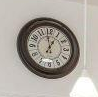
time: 12:59
